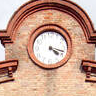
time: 4:18
